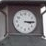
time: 3:14
